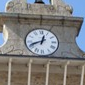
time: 12:41
